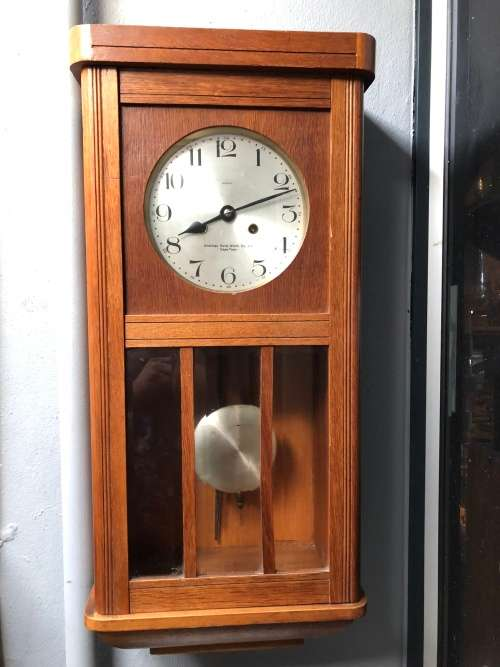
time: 8:11
